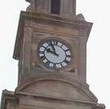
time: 9:56
